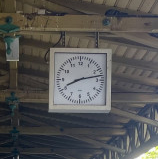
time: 8:12
